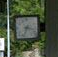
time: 3:33
